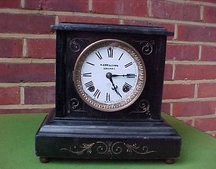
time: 5:14
